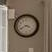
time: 3:40
